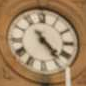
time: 4:23
